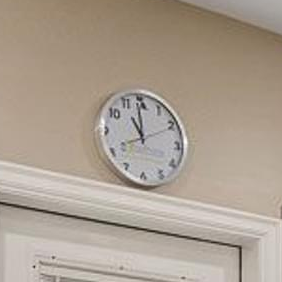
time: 10:59
